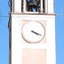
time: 4:18
